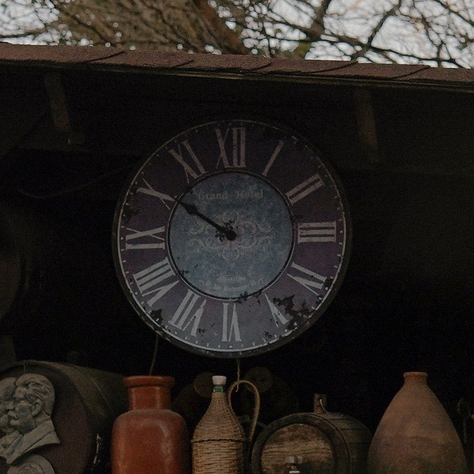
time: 9:50
